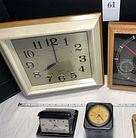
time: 8:00
